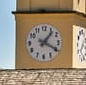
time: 1:19
